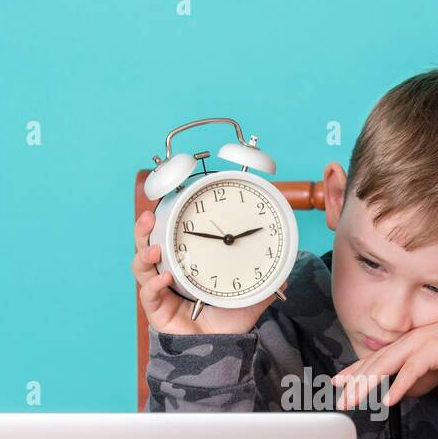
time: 2:48
